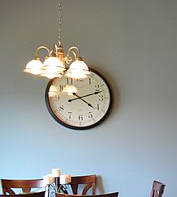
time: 4:12
